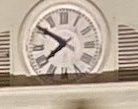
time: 7:50
